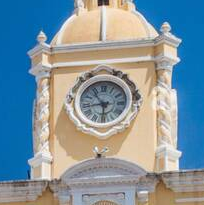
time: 5:53
